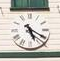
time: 5:20
